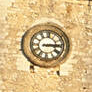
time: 3:14
